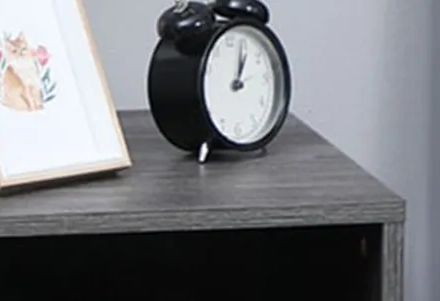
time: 1:02
